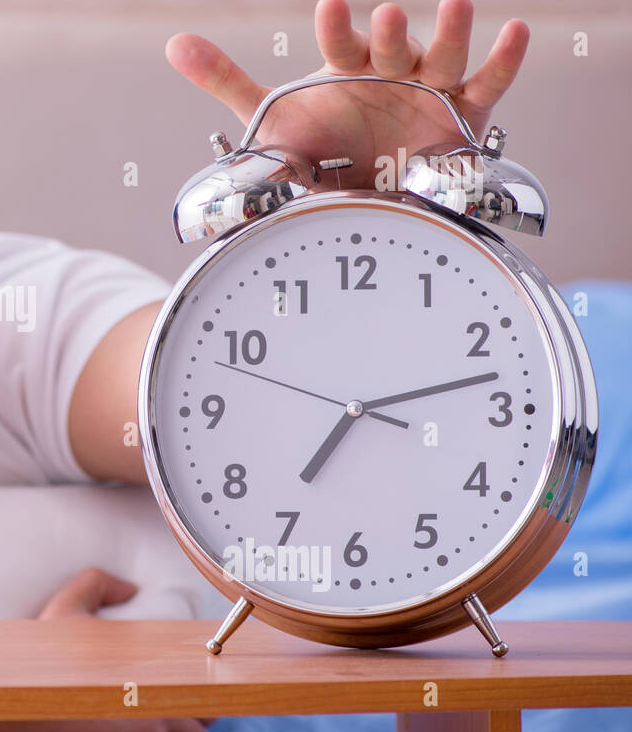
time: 7:12
